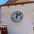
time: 12:07
